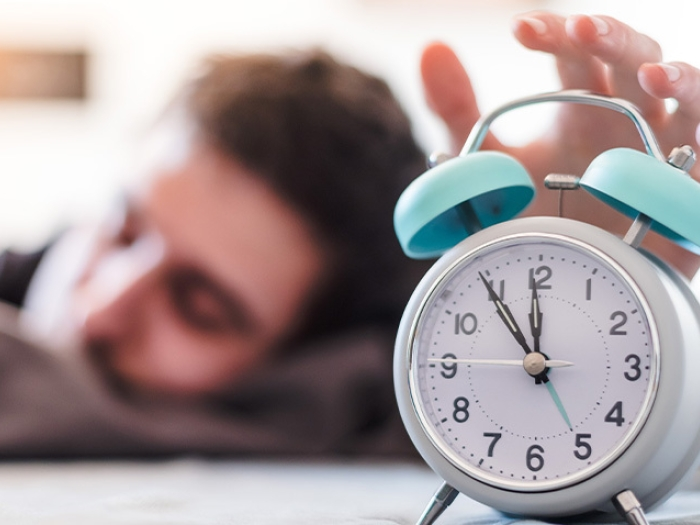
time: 11:54
